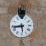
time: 5:43
